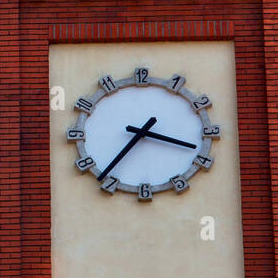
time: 3:36
